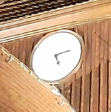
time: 5:12
